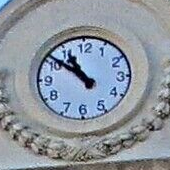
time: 10:51
